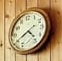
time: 4:40
